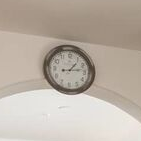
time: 1:13
